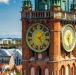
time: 5:08
